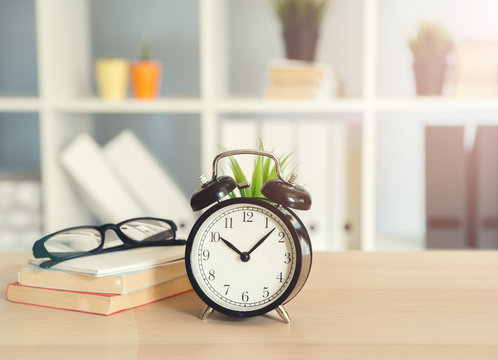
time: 10:07
